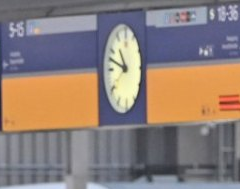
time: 10:47
